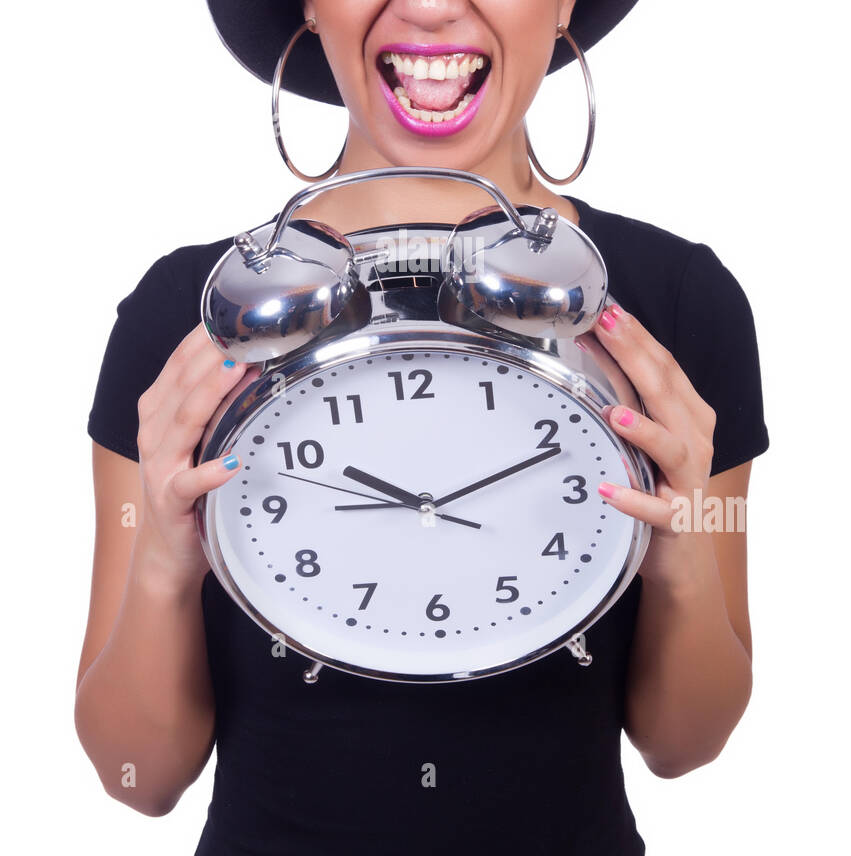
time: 10:11
